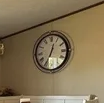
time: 12:34
